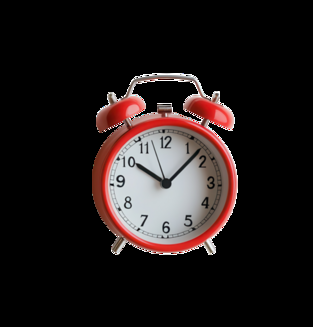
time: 10:07
